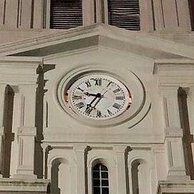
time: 9:35
